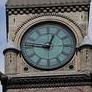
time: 12:46
